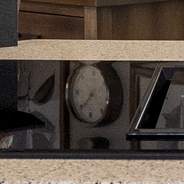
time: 7:37
